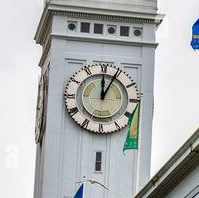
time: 12:04
